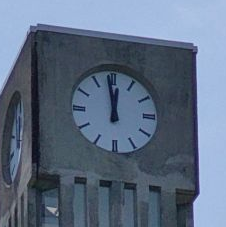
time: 11:58
